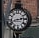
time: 2:42
